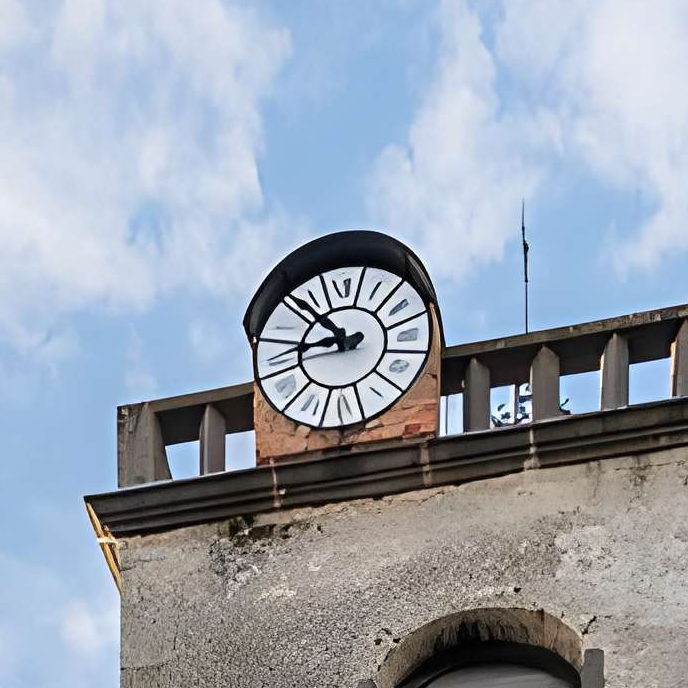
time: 8:51
